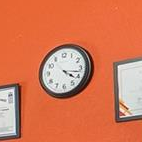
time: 4:17
